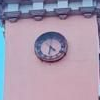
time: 4:31
